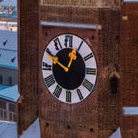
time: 12:49
